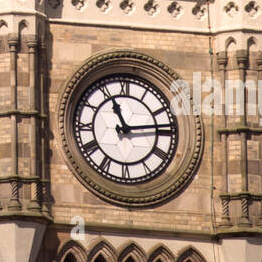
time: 11:13
